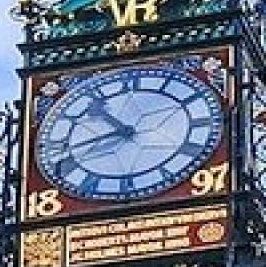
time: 10:42
